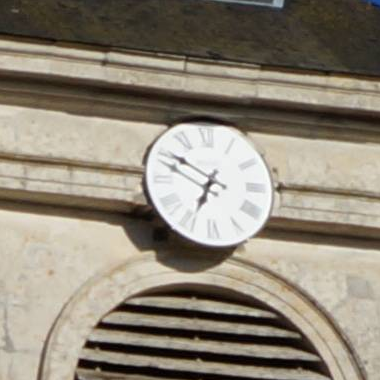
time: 6:50
